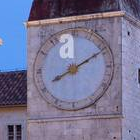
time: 8:10
